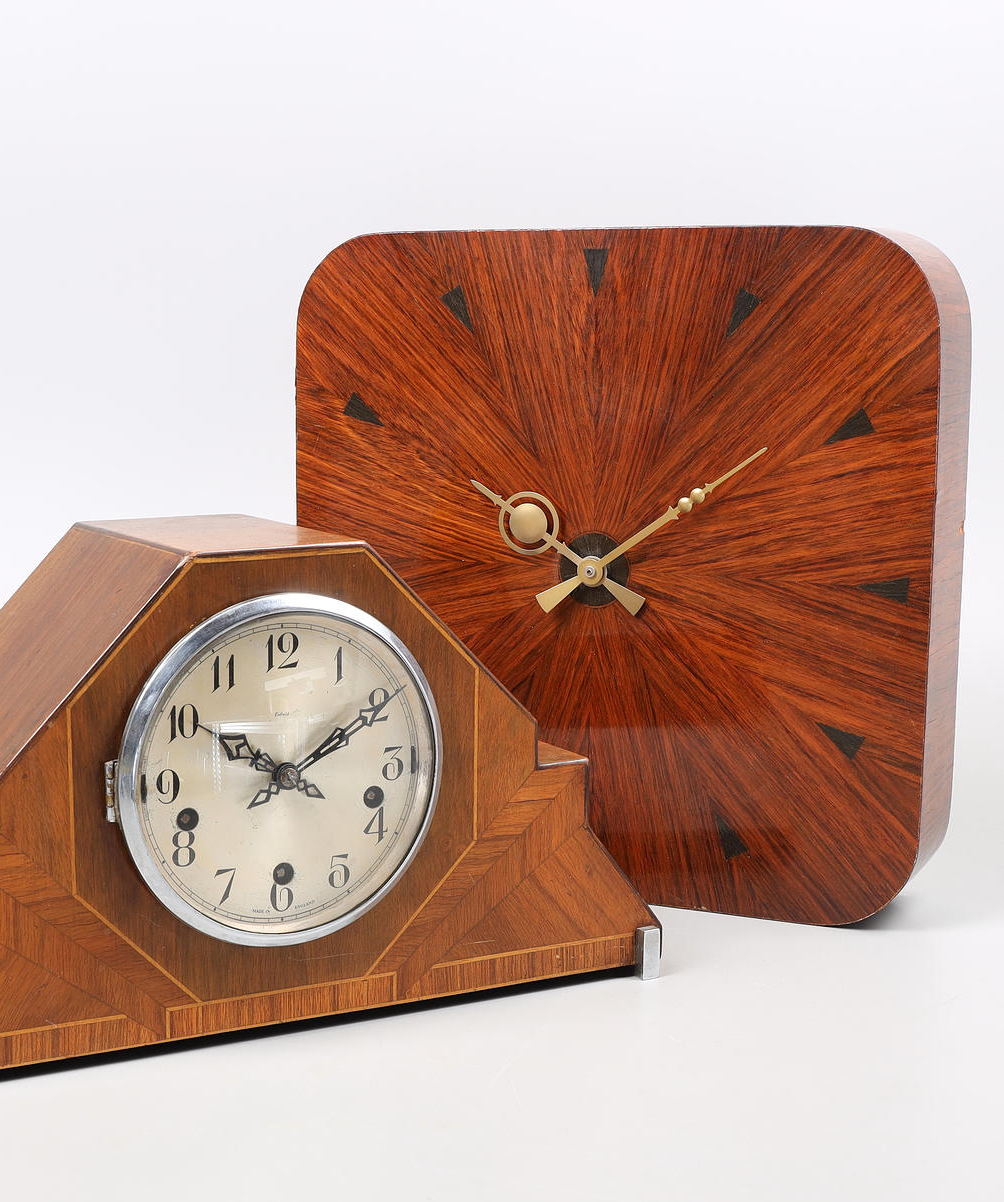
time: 10:09
